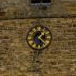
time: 1:22
